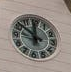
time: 11:51
